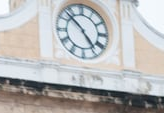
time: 4:52
